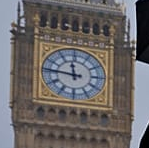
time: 11:46
